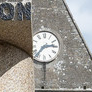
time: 2:36
